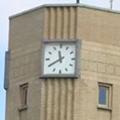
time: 11:39
